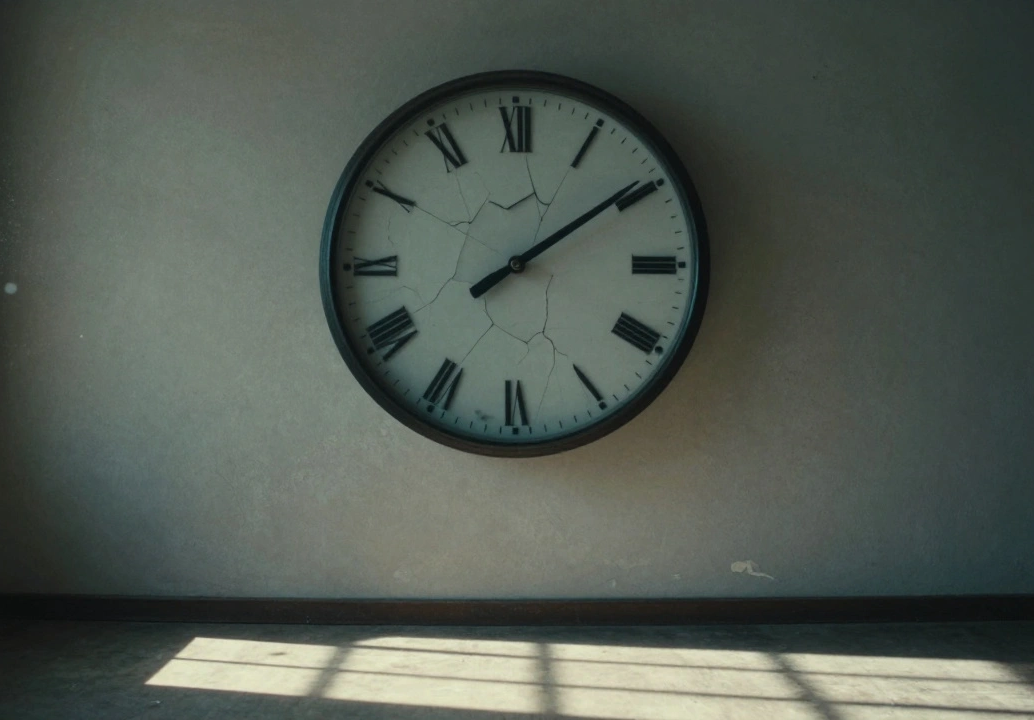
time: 12:09
